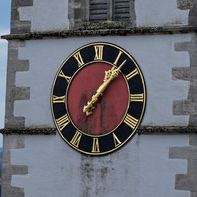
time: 1:06
